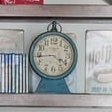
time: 3:43
